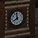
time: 7:58
